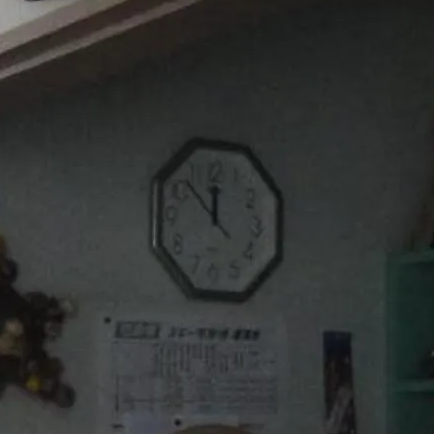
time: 11:52
